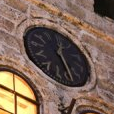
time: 12:26
